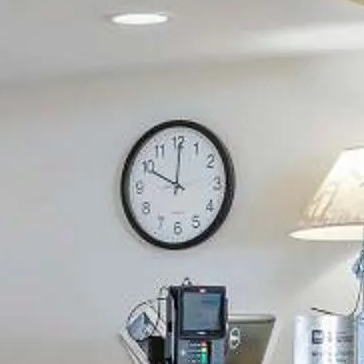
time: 10:00
